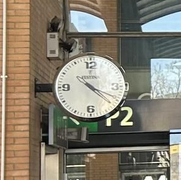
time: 4:19
